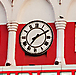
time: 7:10
